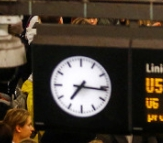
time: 7:15
